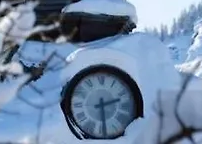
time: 2:29
